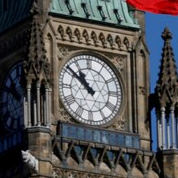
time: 10:51
